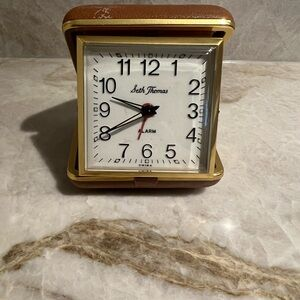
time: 9:40
